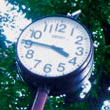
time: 3:45
